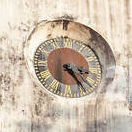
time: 3:23
